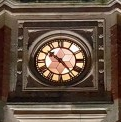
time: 10:23
